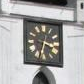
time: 3:33
